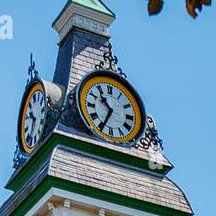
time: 10:34
